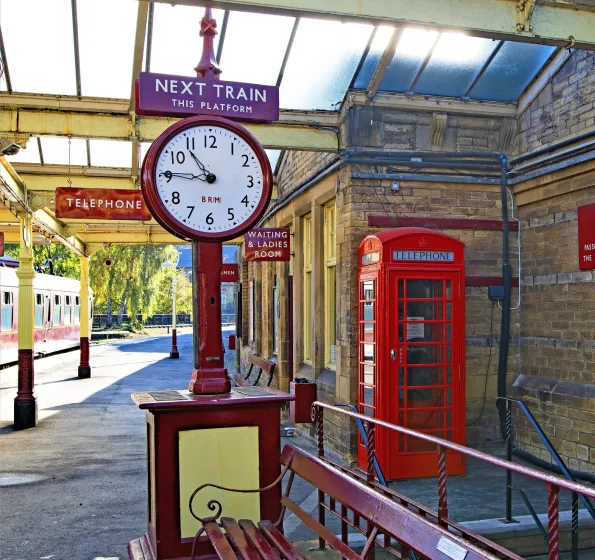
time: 10:45
